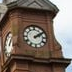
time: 2:09
